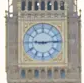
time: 9:13
